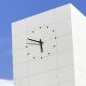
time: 5:49
